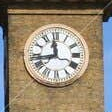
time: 11:43
